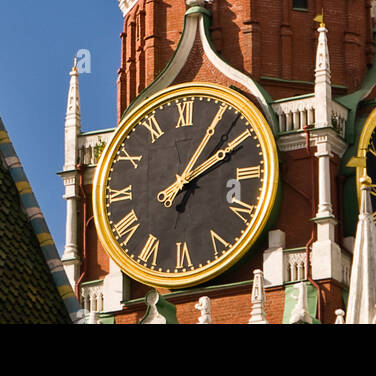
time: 2:05
